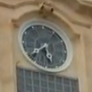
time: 5:38
